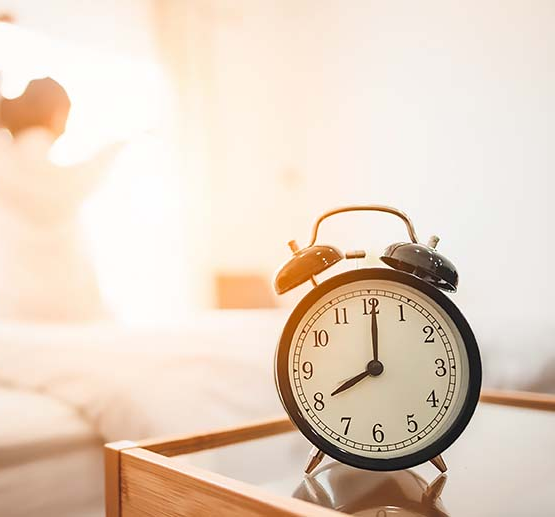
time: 8:00
